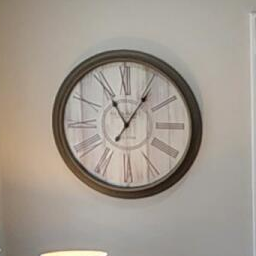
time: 11:05
